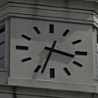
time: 3:33
